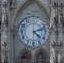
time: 4:12
